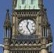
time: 12:24
